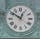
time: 12:51
